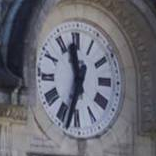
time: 11:33
